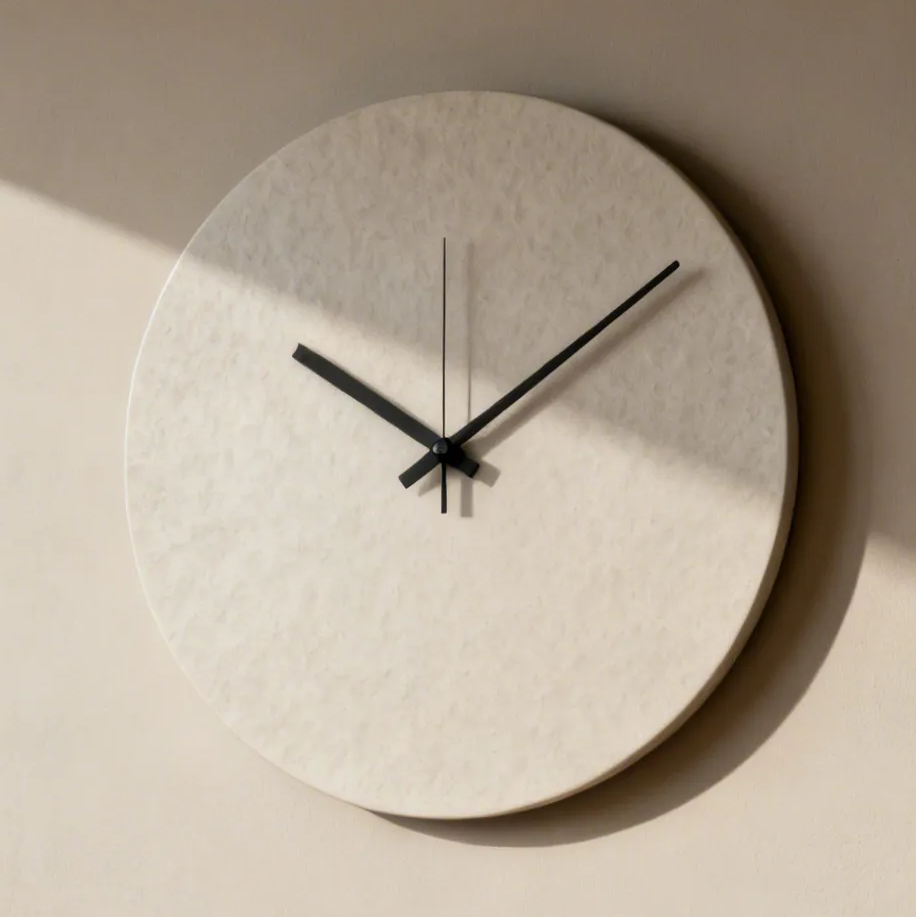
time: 10:08
